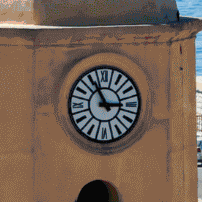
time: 2:55
